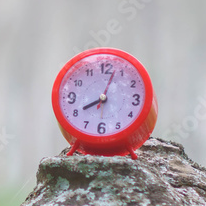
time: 8:03
